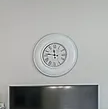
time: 11:46
